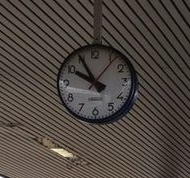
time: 9:54
